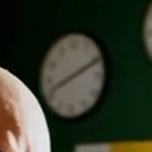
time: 8:11
